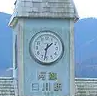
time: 1:32
